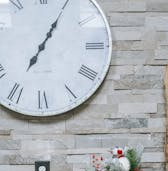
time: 7:05
